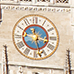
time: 3:27
